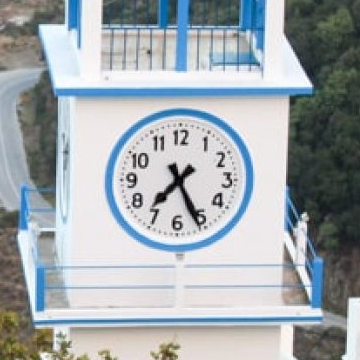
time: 7:25
